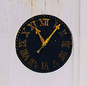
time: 11:06
